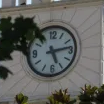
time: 5:13
